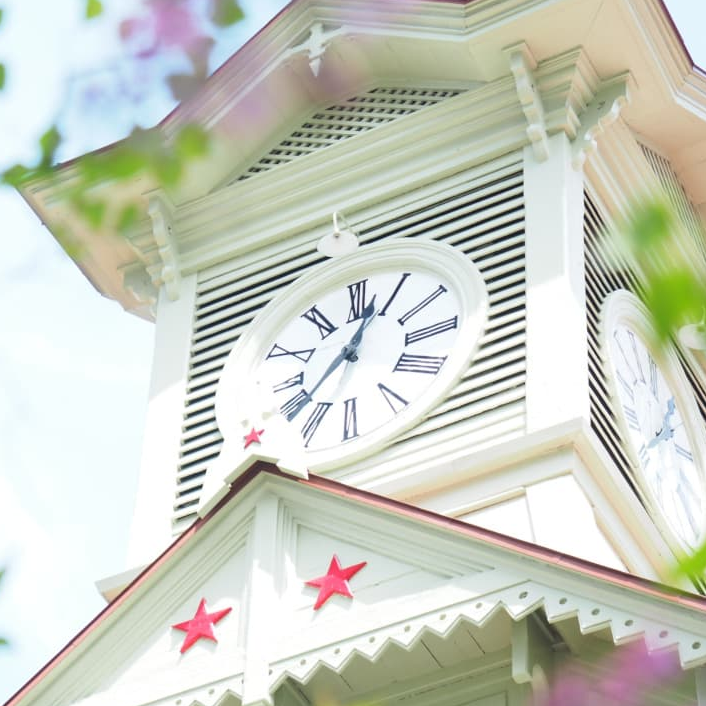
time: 12:37
